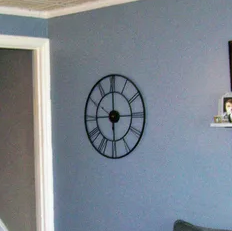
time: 5:59
